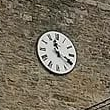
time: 11:19
